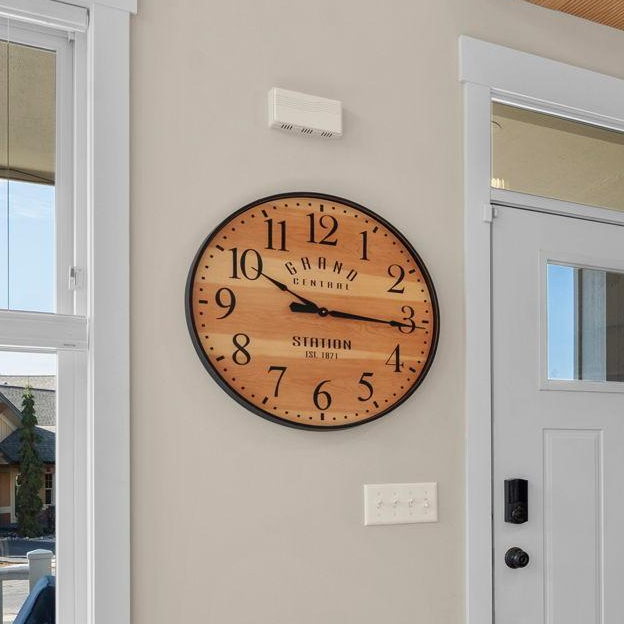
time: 10:15
